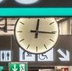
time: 12:16
